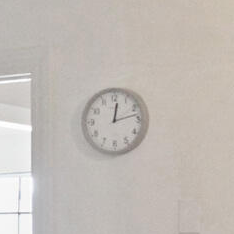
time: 12:12
